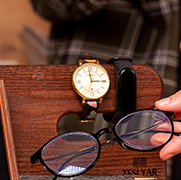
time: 2:58
